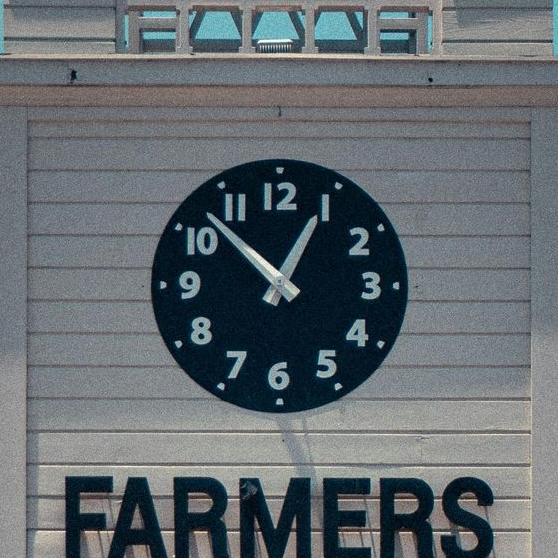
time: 12:52
